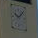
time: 10:07
